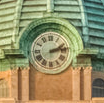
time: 2:13
